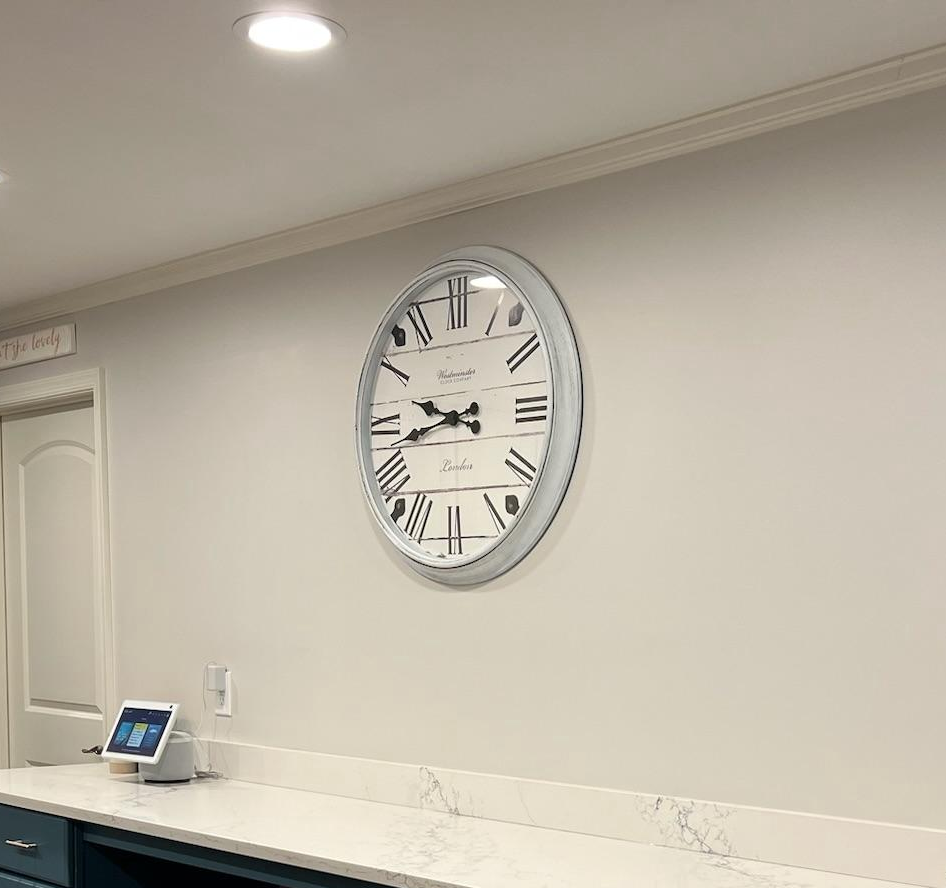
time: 9:42
